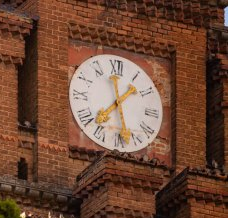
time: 1:28
